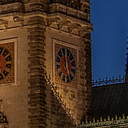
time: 11:25
